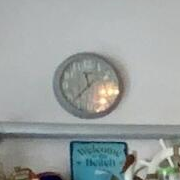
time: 11:37
